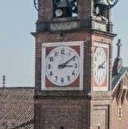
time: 3:09
